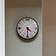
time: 4:29
